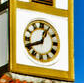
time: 12:40
